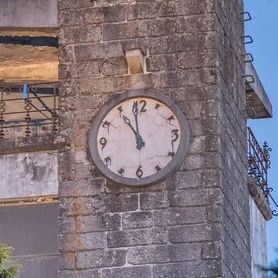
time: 10:59
